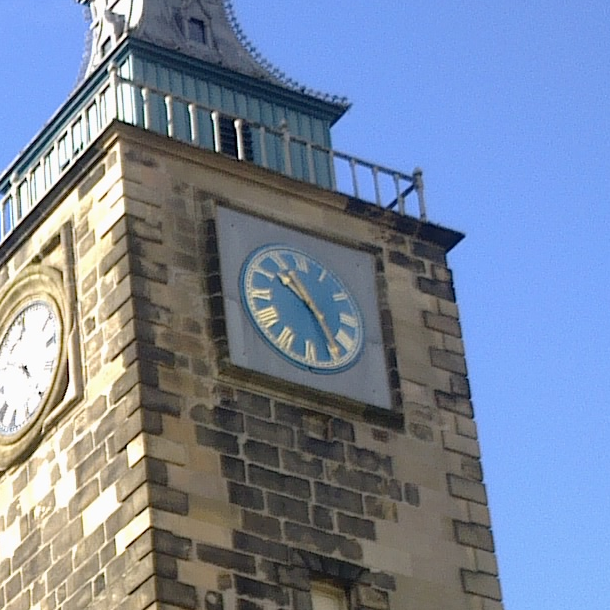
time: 10:24
